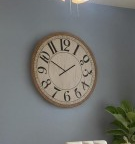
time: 1:50
